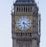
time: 3:28
